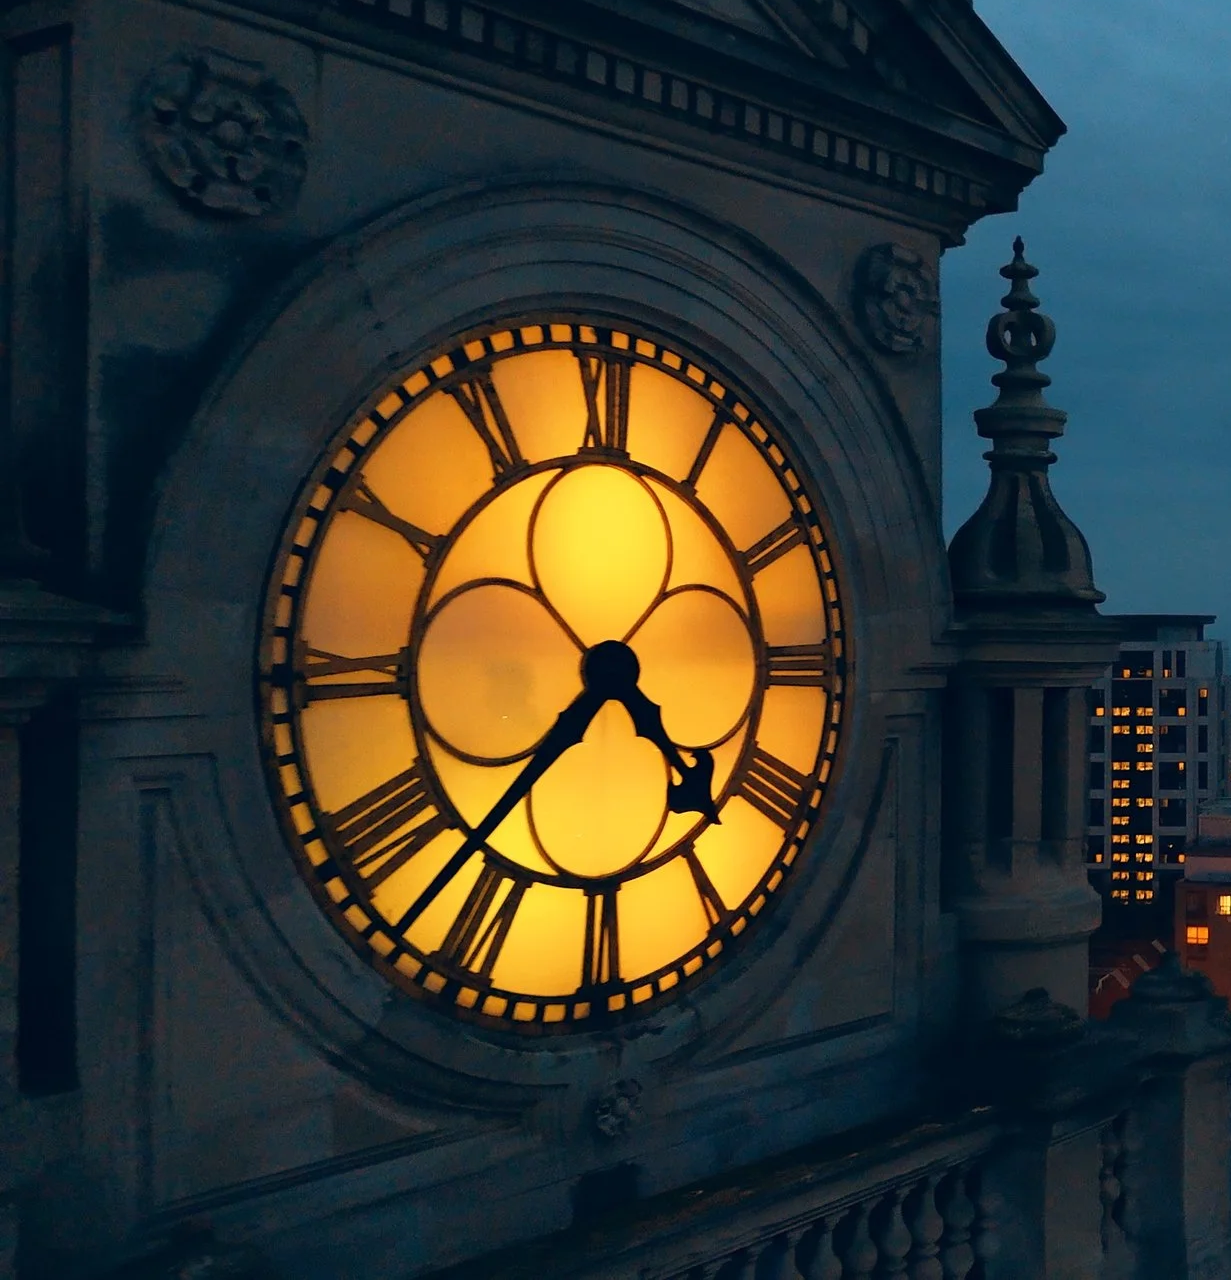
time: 4:37
